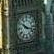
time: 10:17
